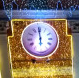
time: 5:59
